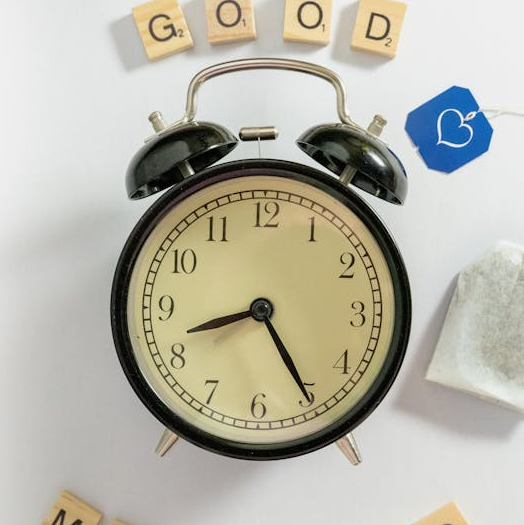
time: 8:25
